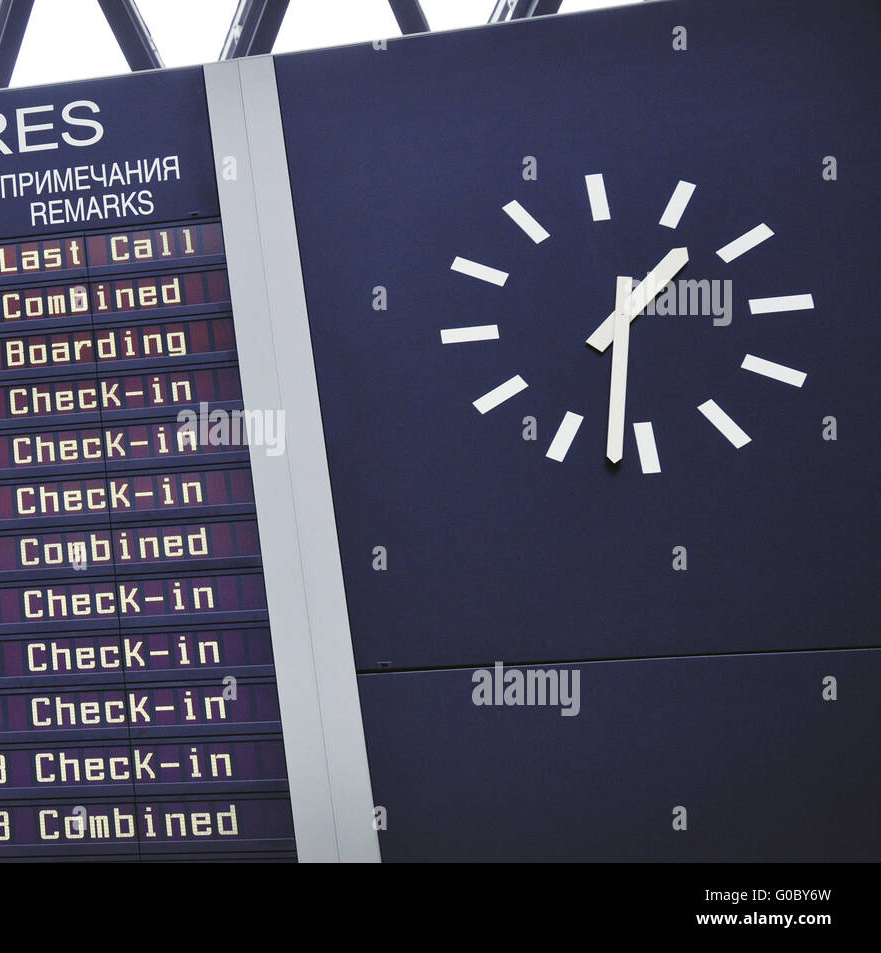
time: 1:32
